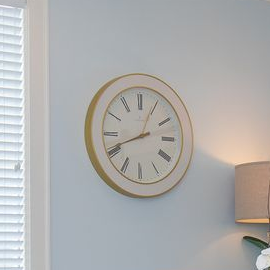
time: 12:41
